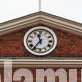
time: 11:36
